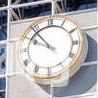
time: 9:53
